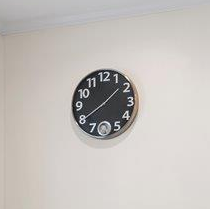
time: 1:39
